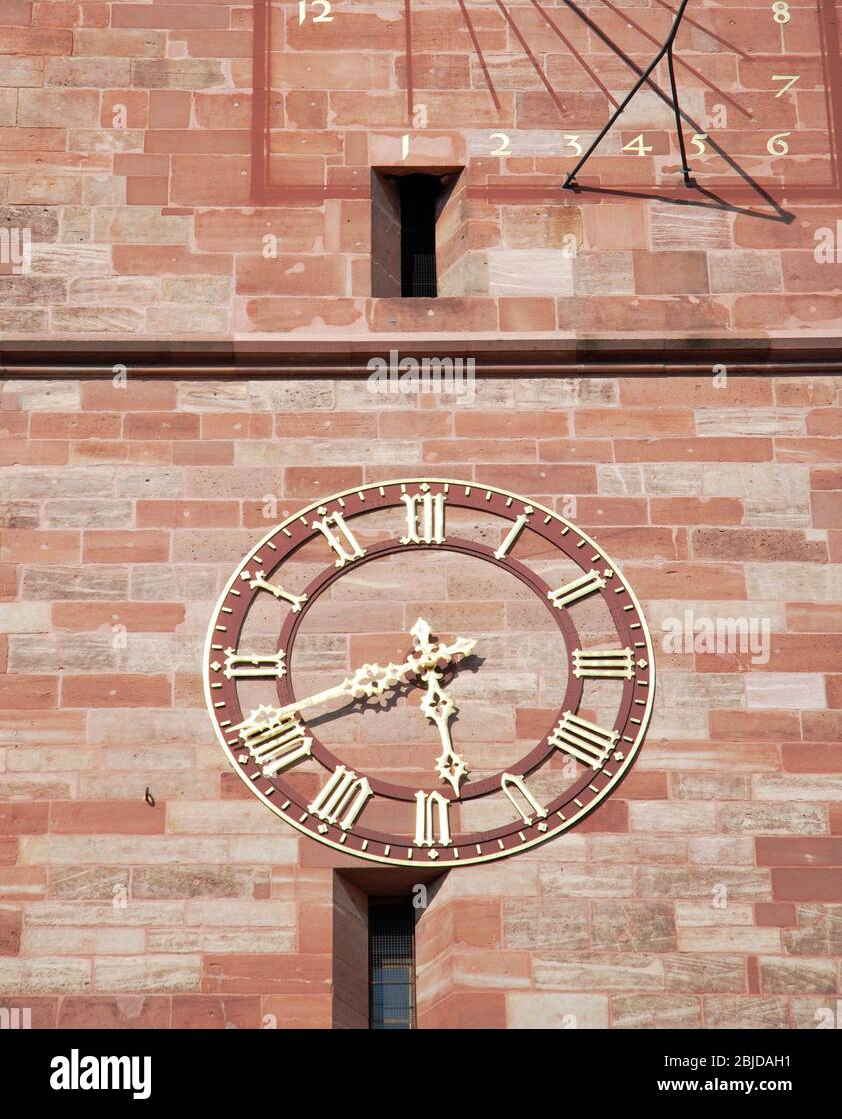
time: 5:40
